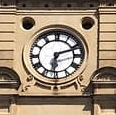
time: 6:11
